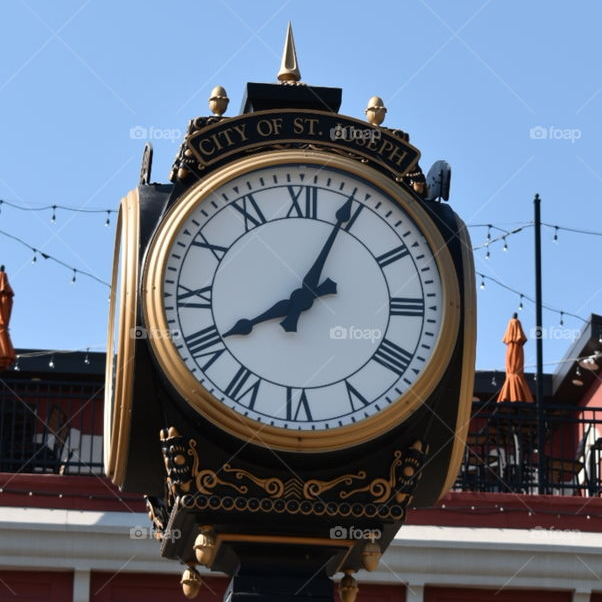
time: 8:04
